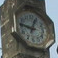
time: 12:46
